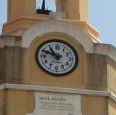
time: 10:48
